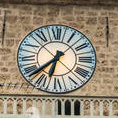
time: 6:38
